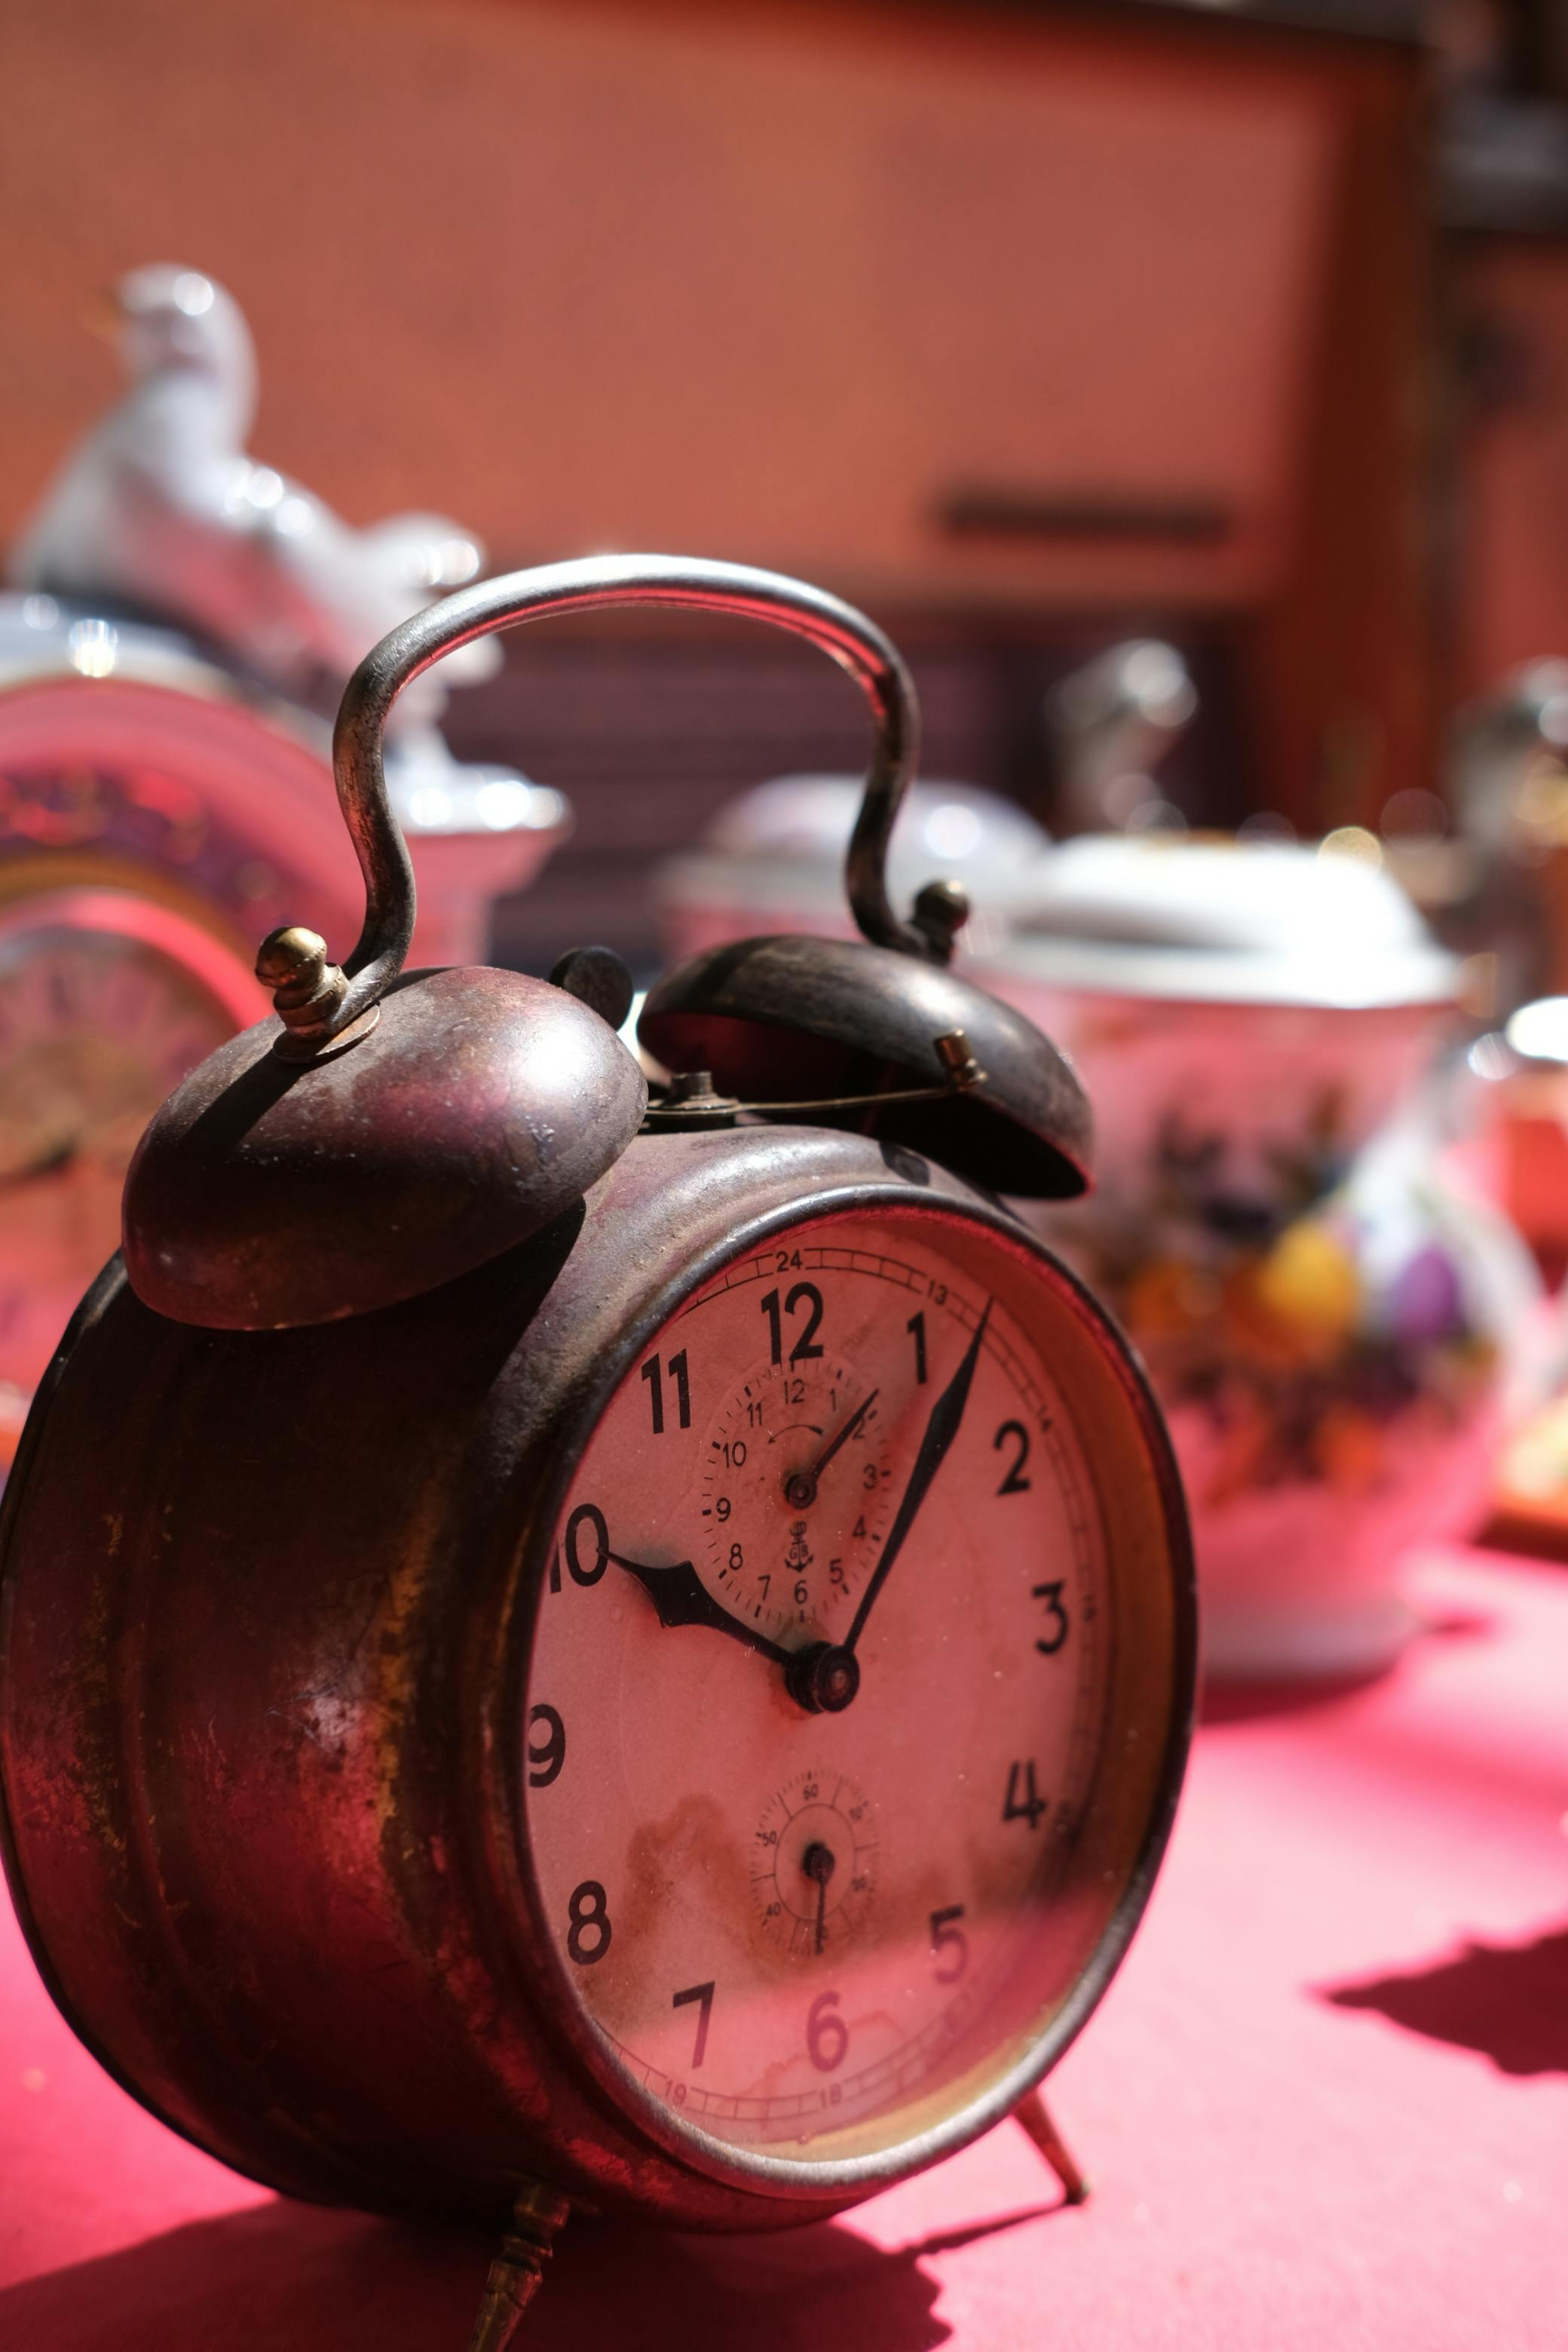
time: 10:06
